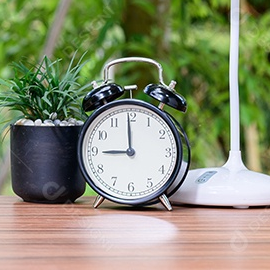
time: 8:59
